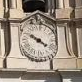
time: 3:48
